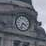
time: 3:32
